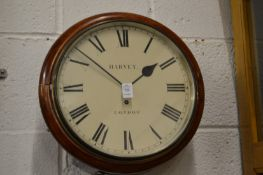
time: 1:51
